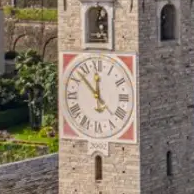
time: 11:52
